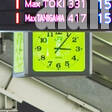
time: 3:06
